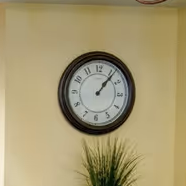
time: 1:06
